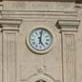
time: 5:01
